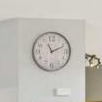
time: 11:10
